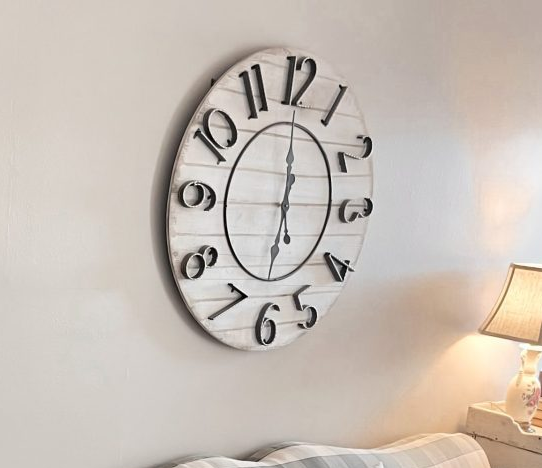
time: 5:59
